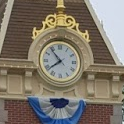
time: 7:53
